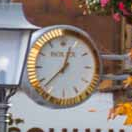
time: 12:37
